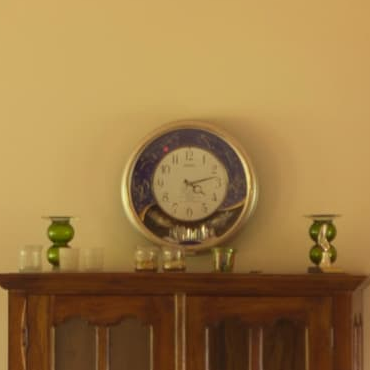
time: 4:12
